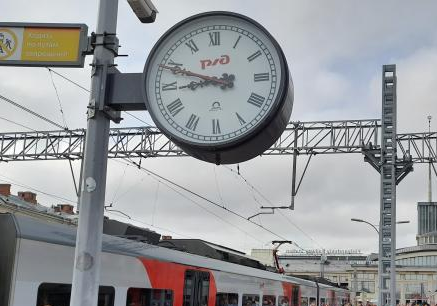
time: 8:48
